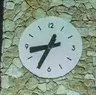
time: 8:34
